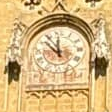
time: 11:52
